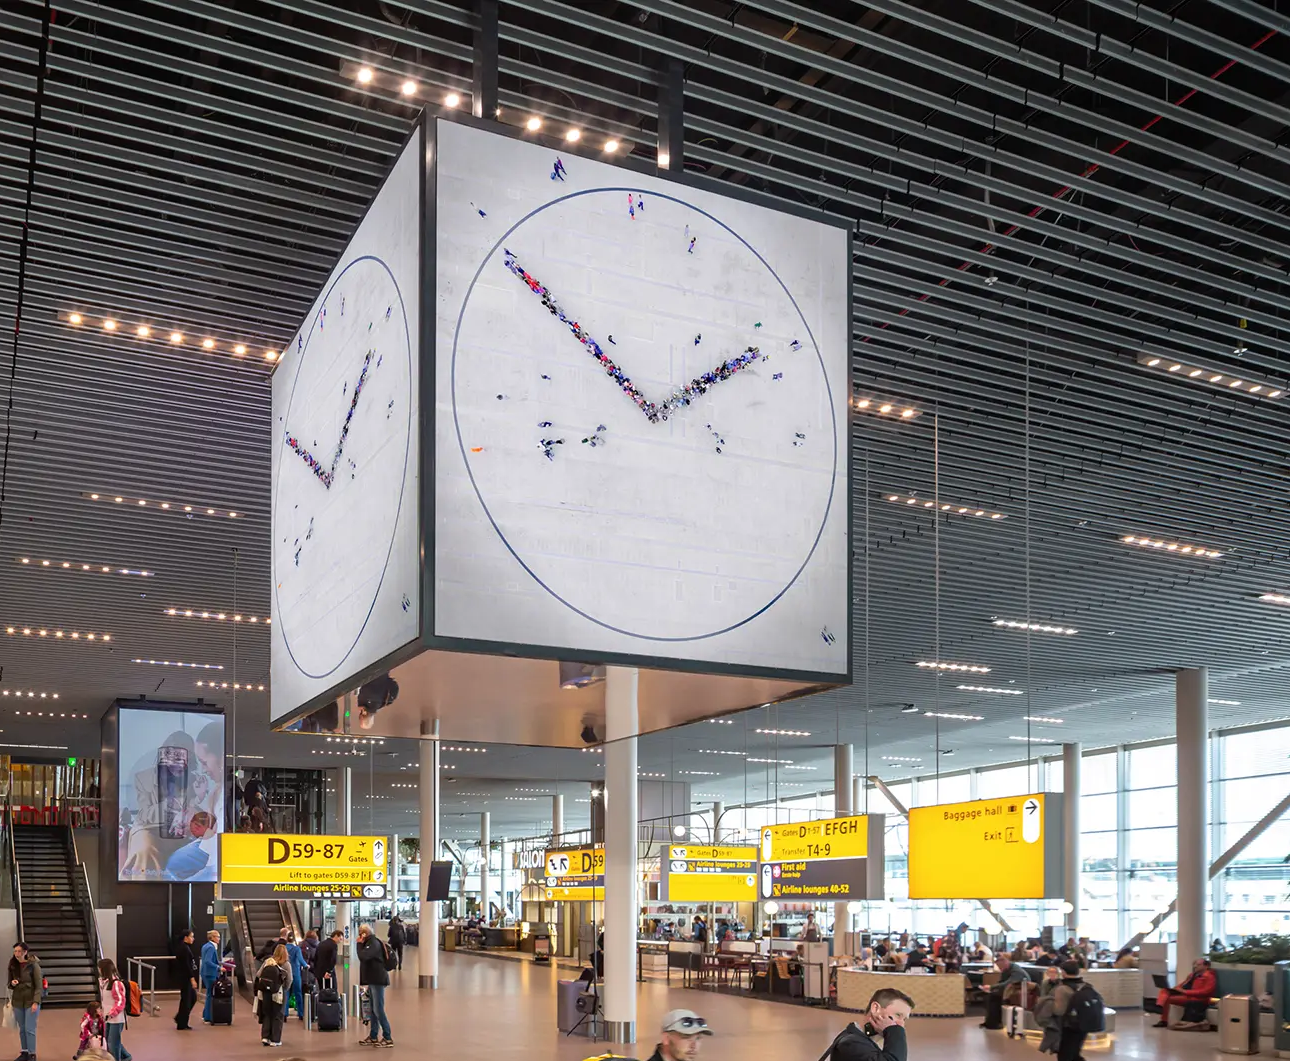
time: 1:50
